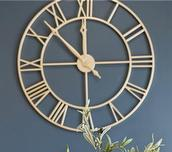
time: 11:52
